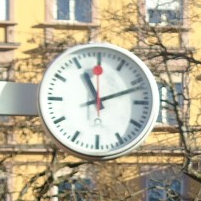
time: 11:11
